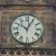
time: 10:04
